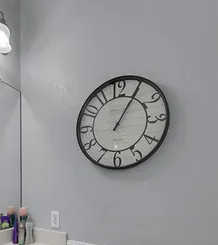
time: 1:05
